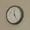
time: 4:59
